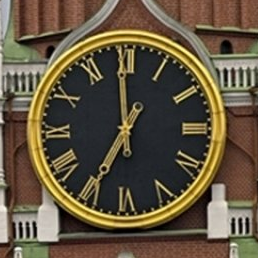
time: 6:59
